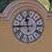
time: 11:44
